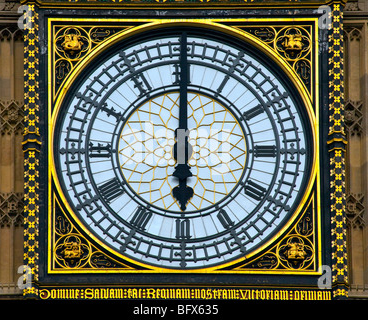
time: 6:00
